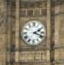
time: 2:18
